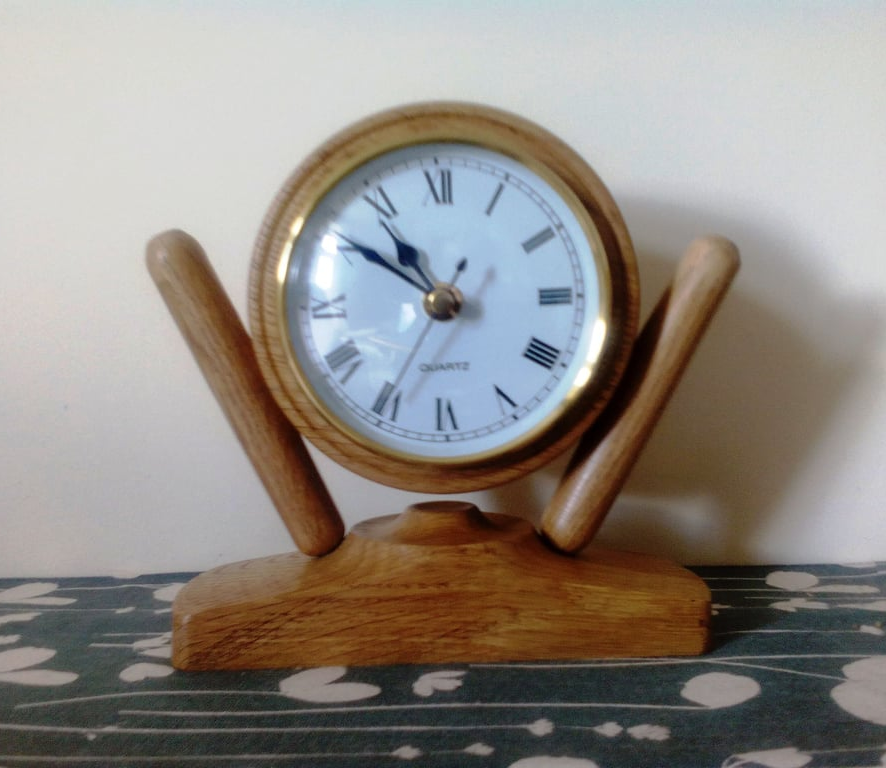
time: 10:50
